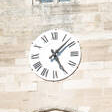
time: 5:07
